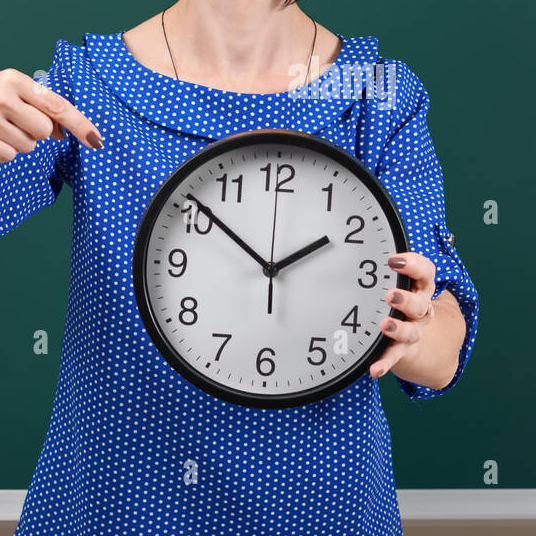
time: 1:51
